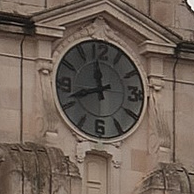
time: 11:41
